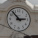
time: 2:53
